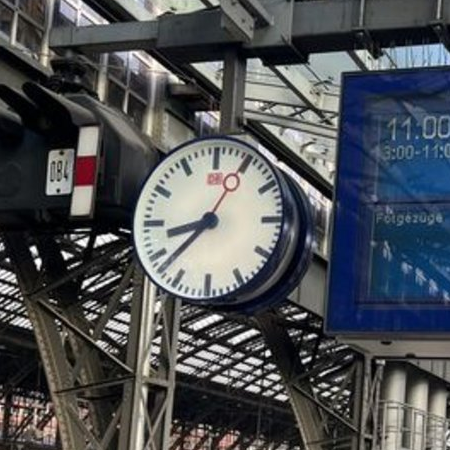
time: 8:37
